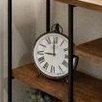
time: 8:59
